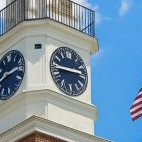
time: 2:44
